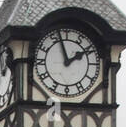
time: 1:57
